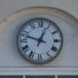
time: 12:47
